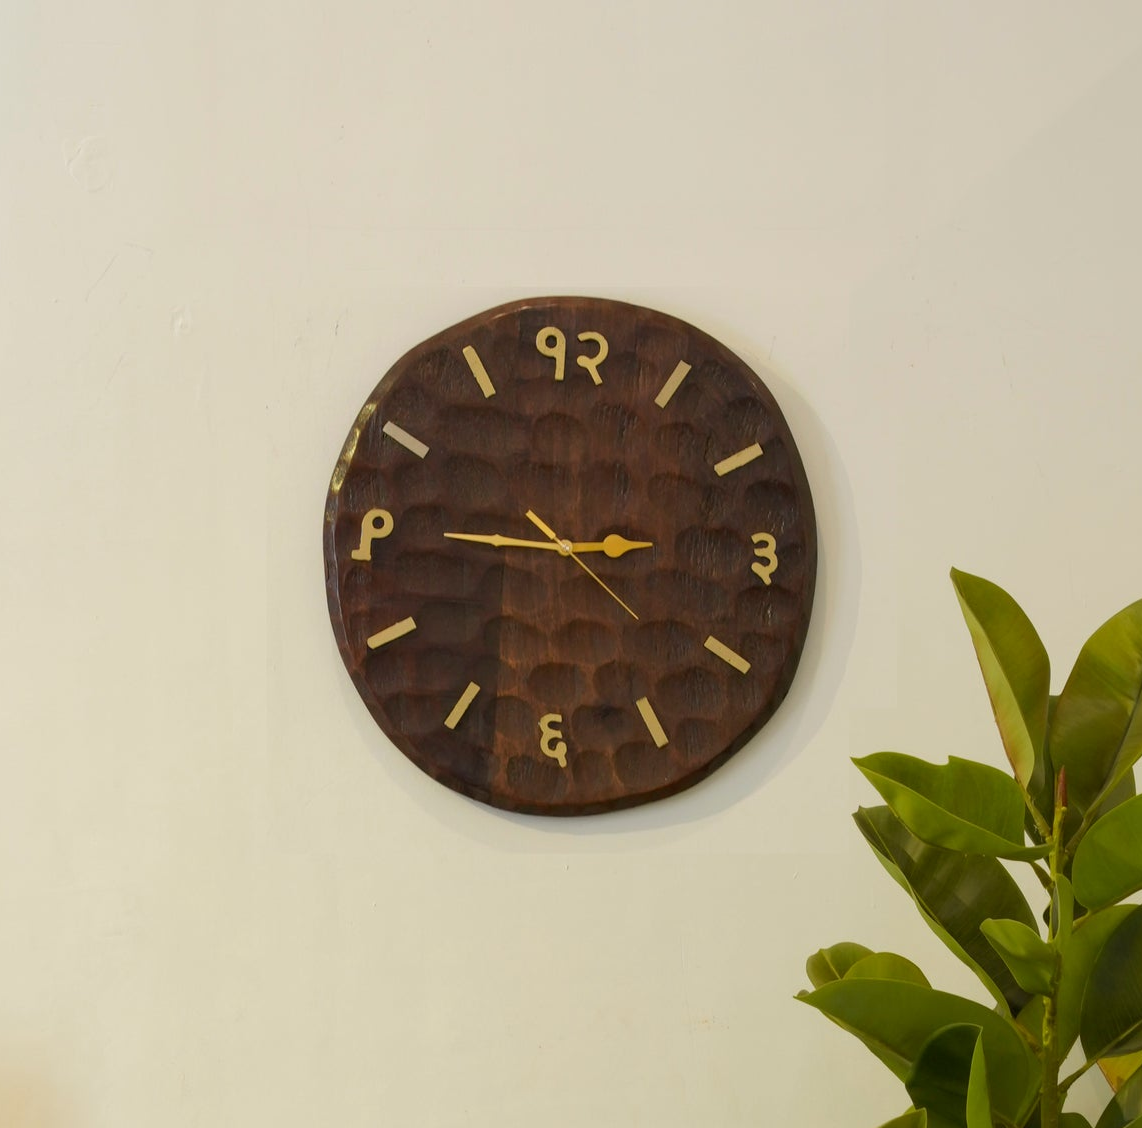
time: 2:45
